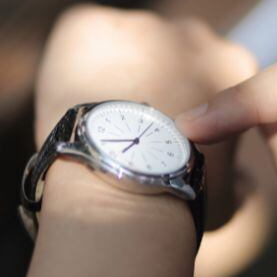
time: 9:08
